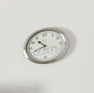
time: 10:40
